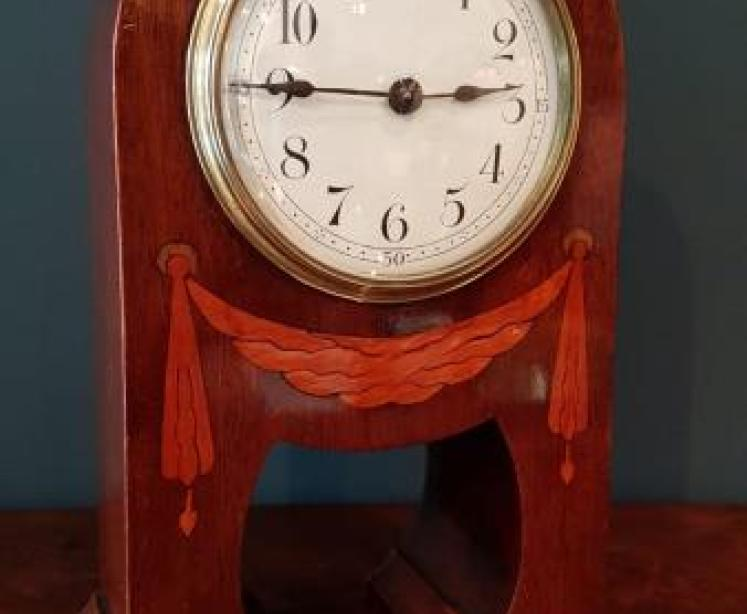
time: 2:45
